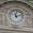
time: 11:11
